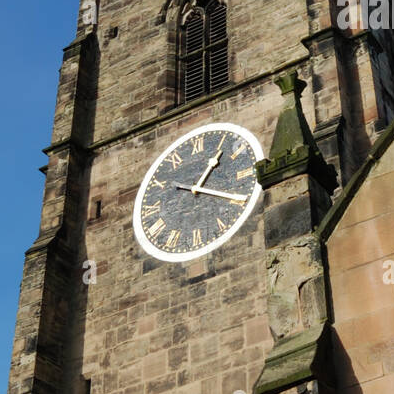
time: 1:20
